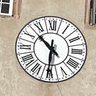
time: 10:30
